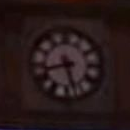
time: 8:27
